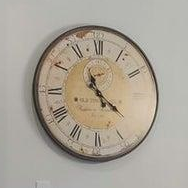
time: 11:21
